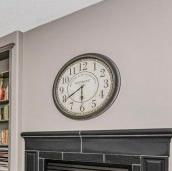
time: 5:39
